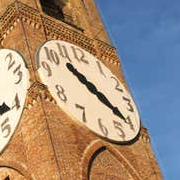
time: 10:20
